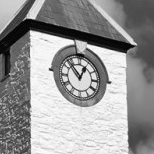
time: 12:53
